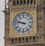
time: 9:47
